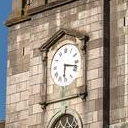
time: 6:17
